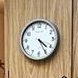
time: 4:25
